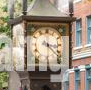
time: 3:22
